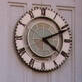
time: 4:11
